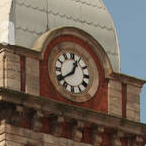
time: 12:39
